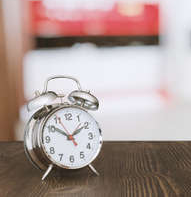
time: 1:50
